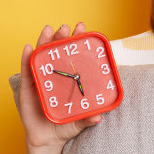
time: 5:49
